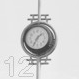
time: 1:34
